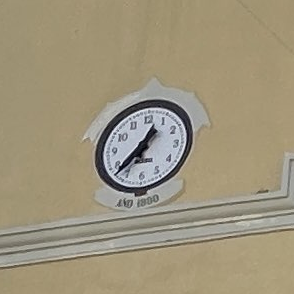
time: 12:37
